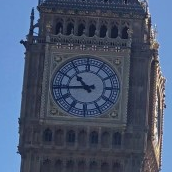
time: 10:44
